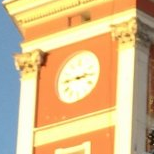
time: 2:45
